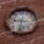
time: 9:33
